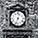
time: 12:33
